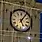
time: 5:05
